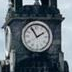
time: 1:55
